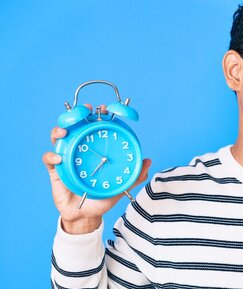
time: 7:37
